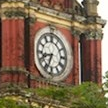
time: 8:33
